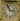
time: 2:56
